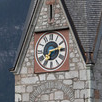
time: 2:36
